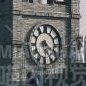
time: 6:20
